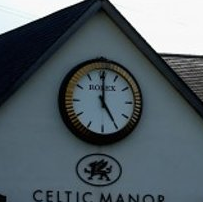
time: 5:00
